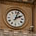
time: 2:03
